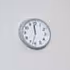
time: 11:32
